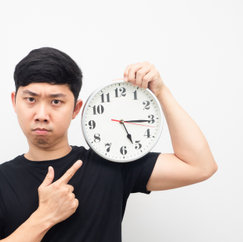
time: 5:15
